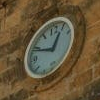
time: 12:48
